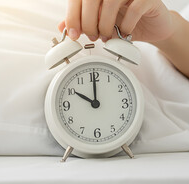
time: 10:00
